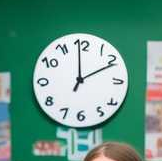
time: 1:59
